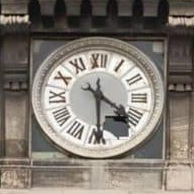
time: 4:29
